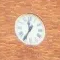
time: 11:35
